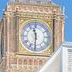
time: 11:30
